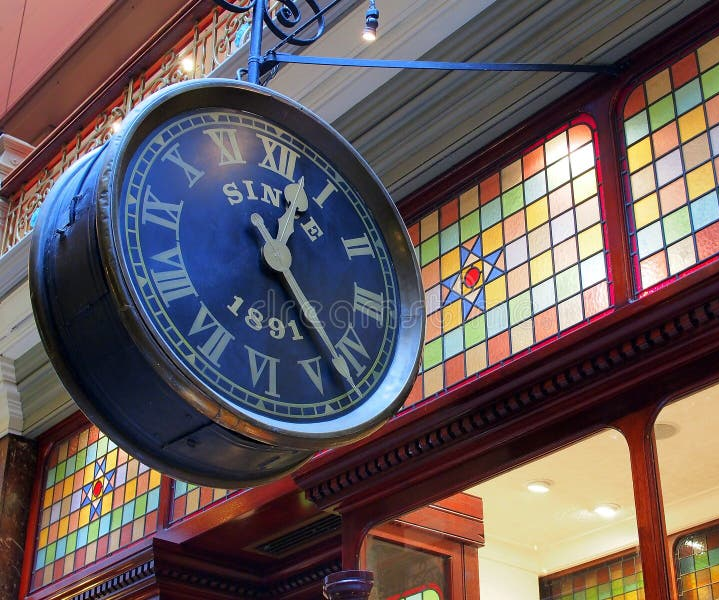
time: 12:23
